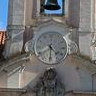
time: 4:30
